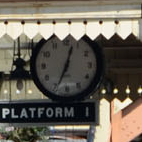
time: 12:34
